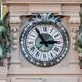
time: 2:54
